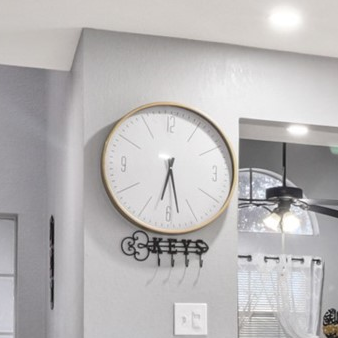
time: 6:28
